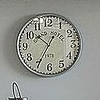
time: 10:35
